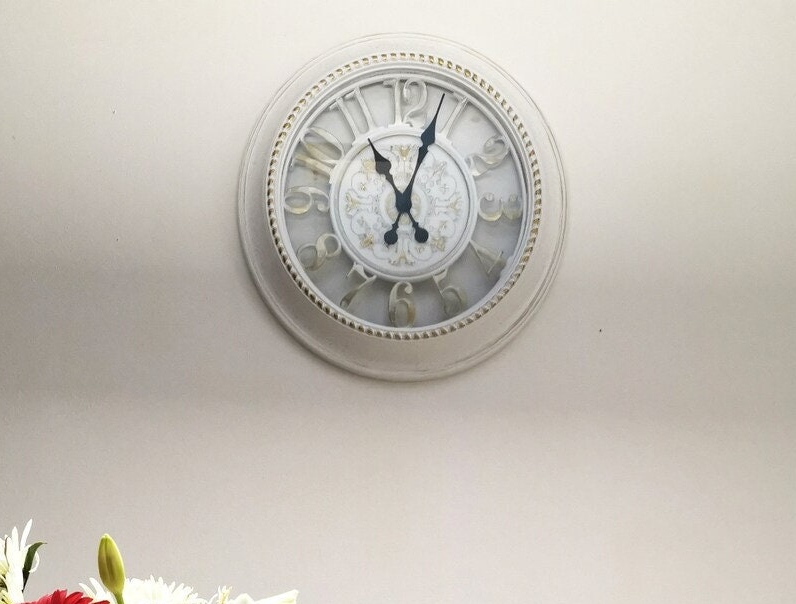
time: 11:03
